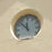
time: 11:52
